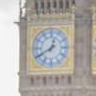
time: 12:40
